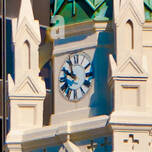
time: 9:57
